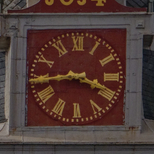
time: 3:44
